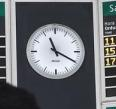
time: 11:19
